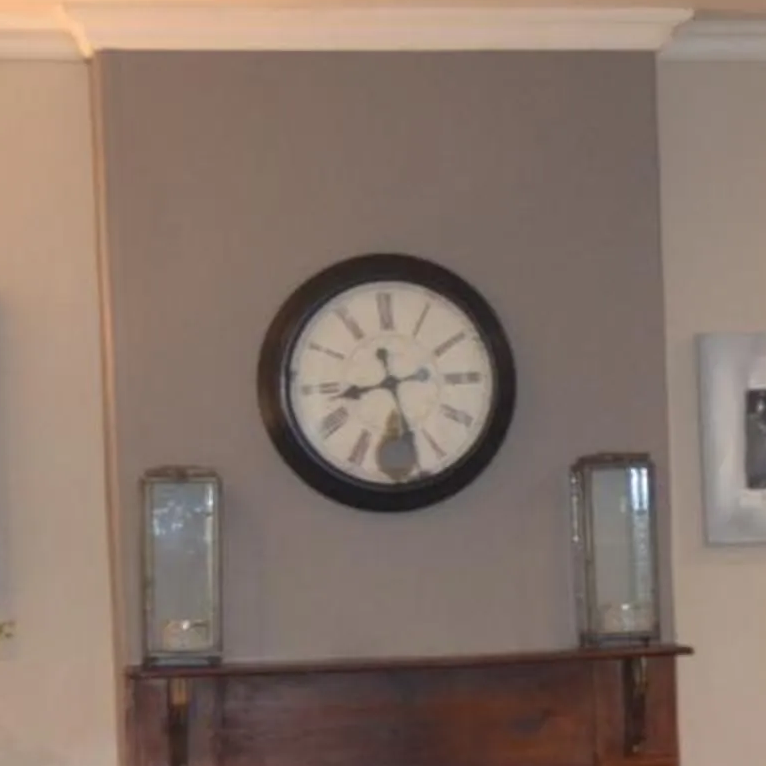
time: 8:27
